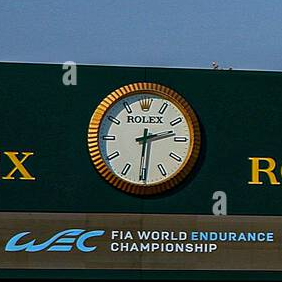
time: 2:30
